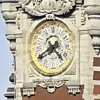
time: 4:39
